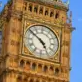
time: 4:51
